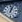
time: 1:02
